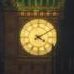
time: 4:09
